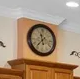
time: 11:36
